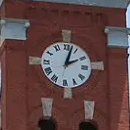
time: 2:02
